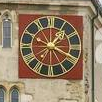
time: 1:18
